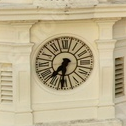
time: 7:31
